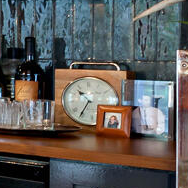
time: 10:35
